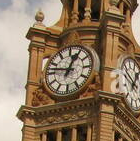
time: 12:47
